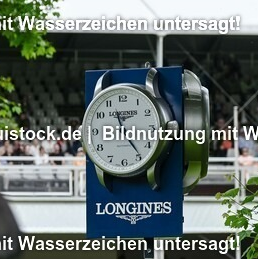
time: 11:23
